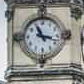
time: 11:17
